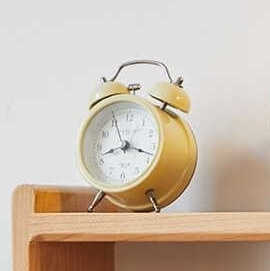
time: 8:19
